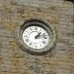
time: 1:12
